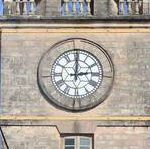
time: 3:00
